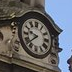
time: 9:38
